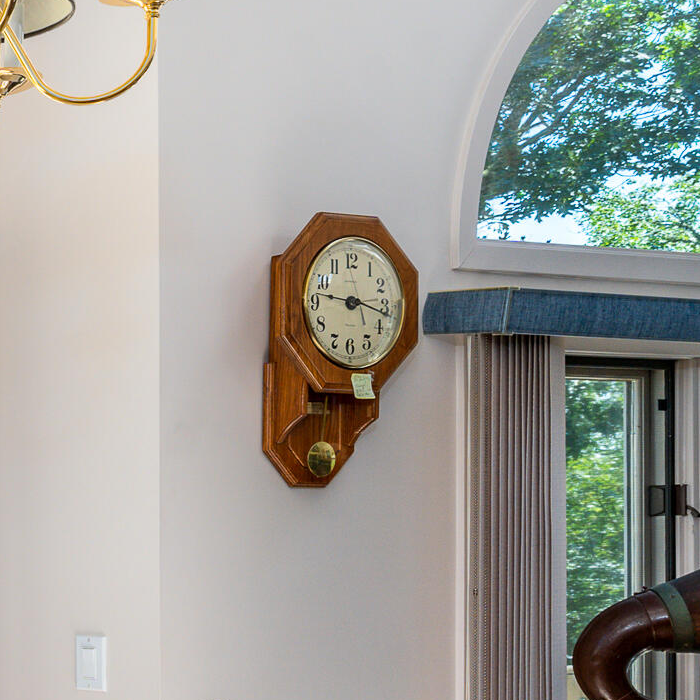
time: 9:17
